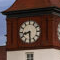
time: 8:29
